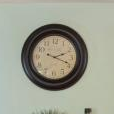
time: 2:18
